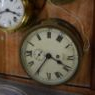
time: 3:35
